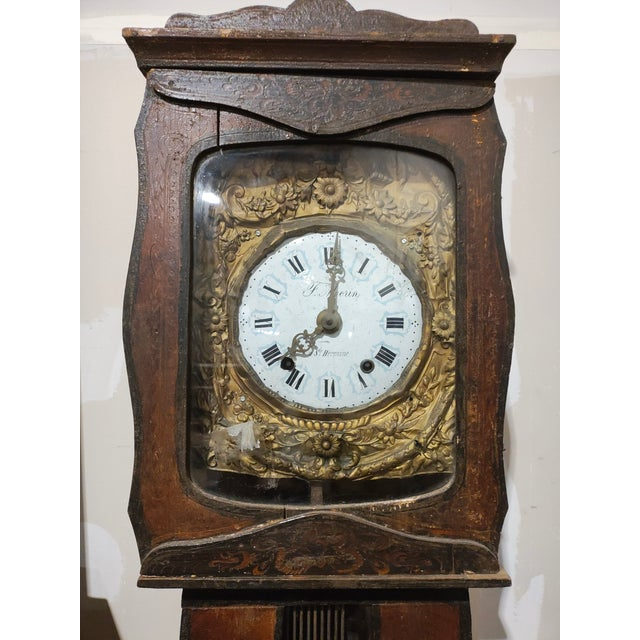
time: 8:01
